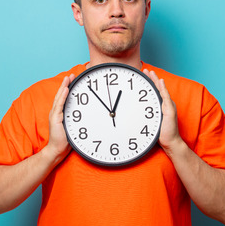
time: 12:53
